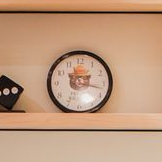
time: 2:17
